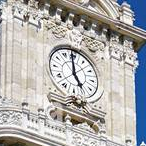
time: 4:59
